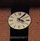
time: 4:07
